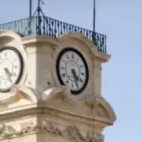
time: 4:26
